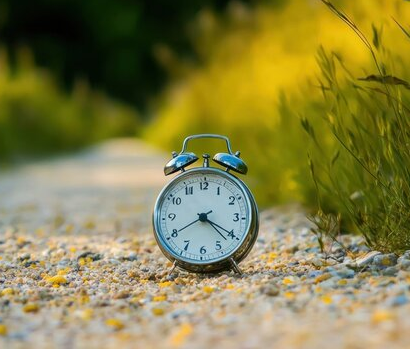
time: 4:20
